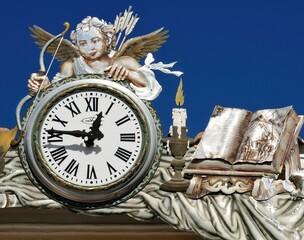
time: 12:46
